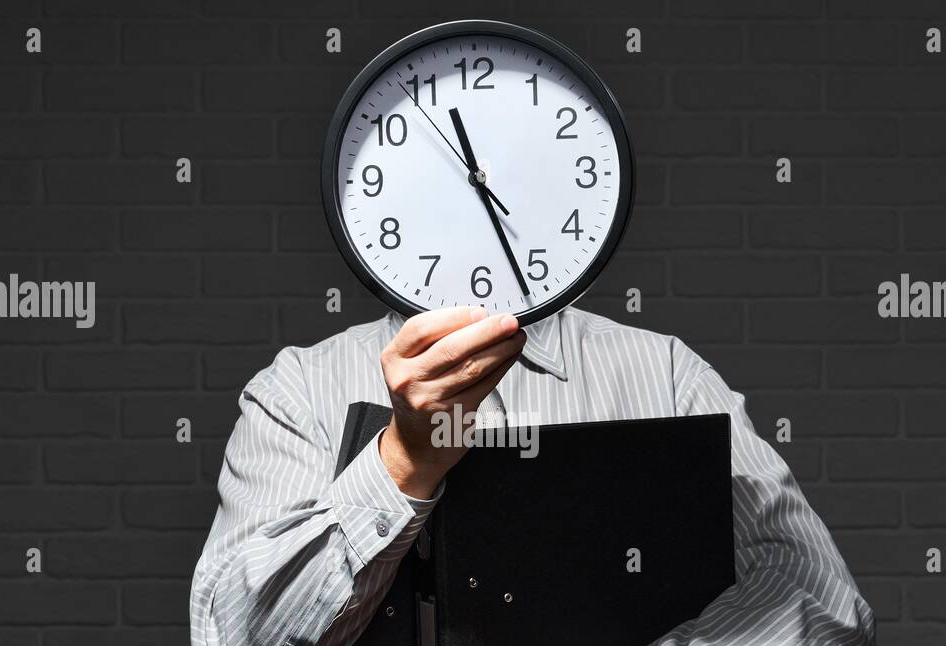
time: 11:26
